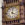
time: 4:01
